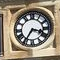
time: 3:35
